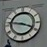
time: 3:46
